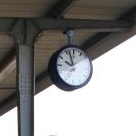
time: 9:57
